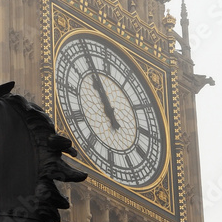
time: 10:56
